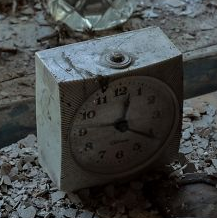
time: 12:20
